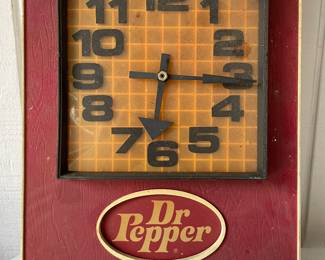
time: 6:15
